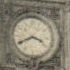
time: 3:40
